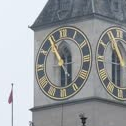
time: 5:54
